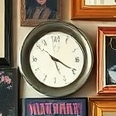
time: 5:19
